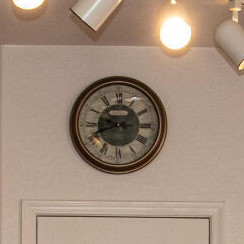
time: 9:42
